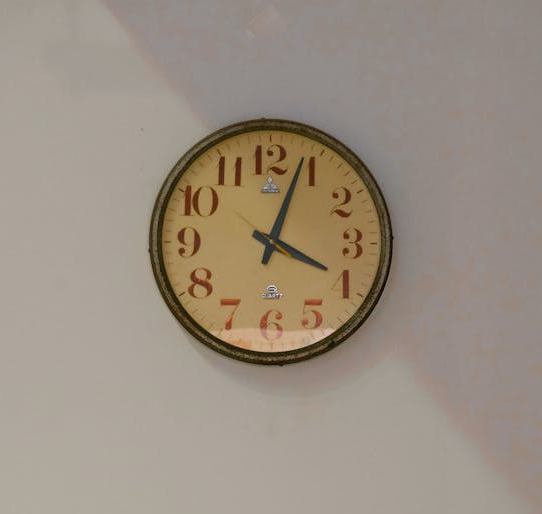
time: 4:03
